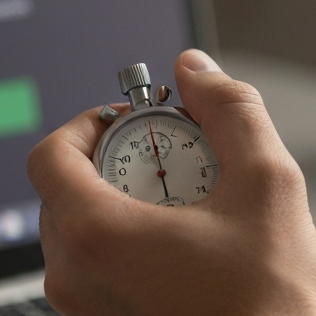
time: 6:00
